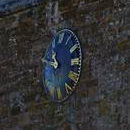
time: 10:47
